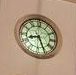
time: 8:26
